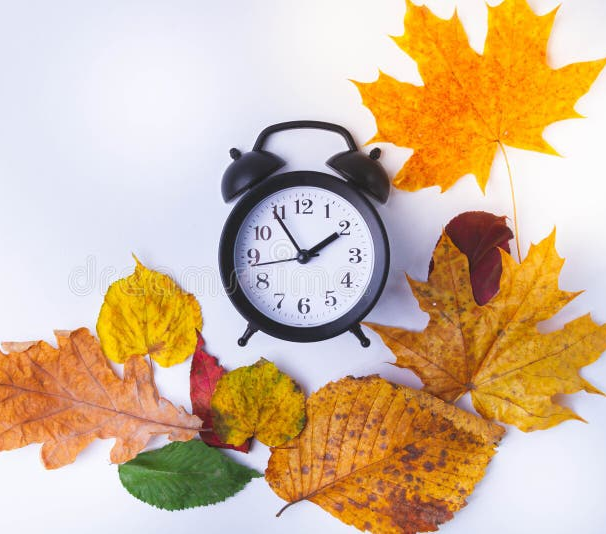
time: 1:54
